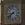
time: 8:38
